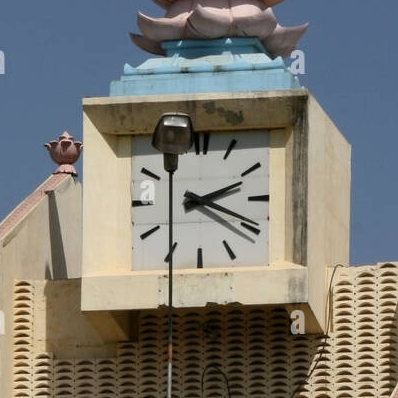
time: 2:19
